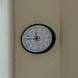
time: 11:46
